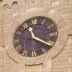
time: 11:19
